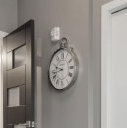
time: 9:42
